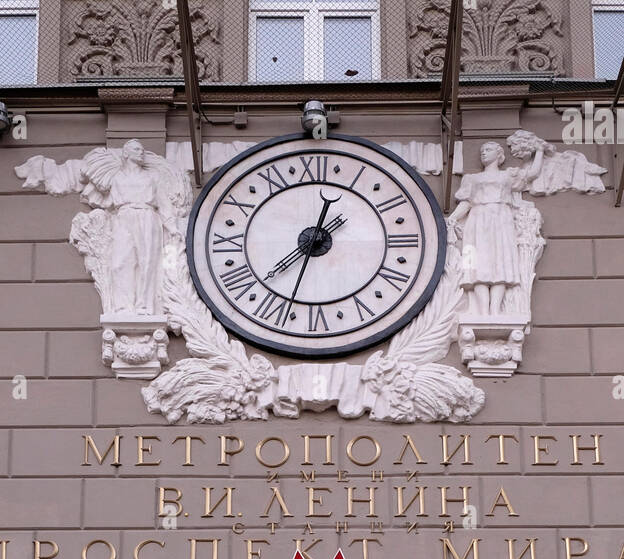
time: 12:33
